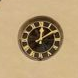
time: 12:09
